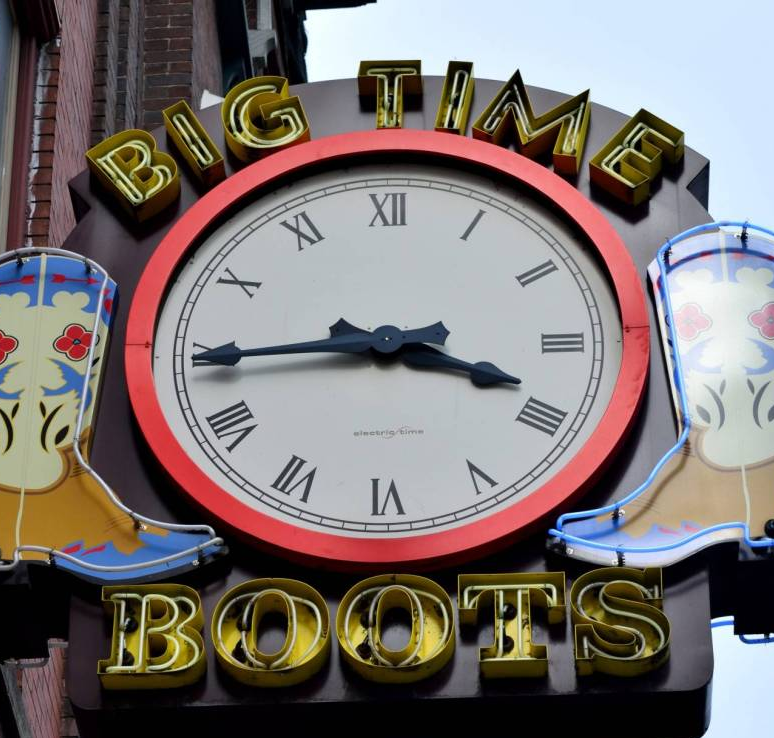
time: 3:44
